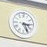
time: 3:25
